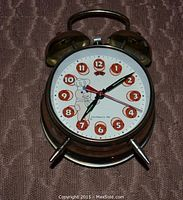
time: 7:09
